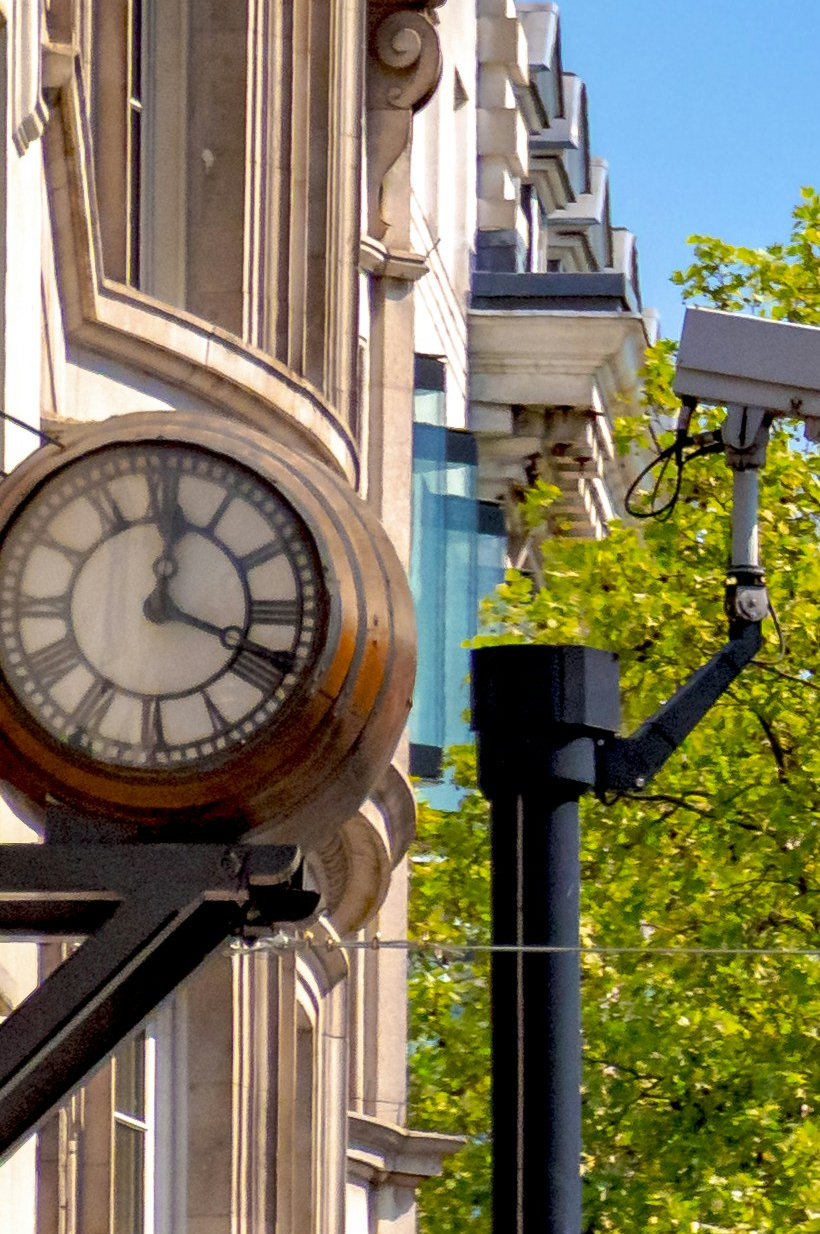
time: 12:18
